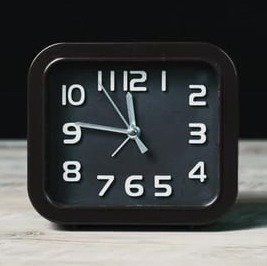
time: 11:46
